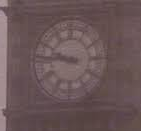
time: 9:45
